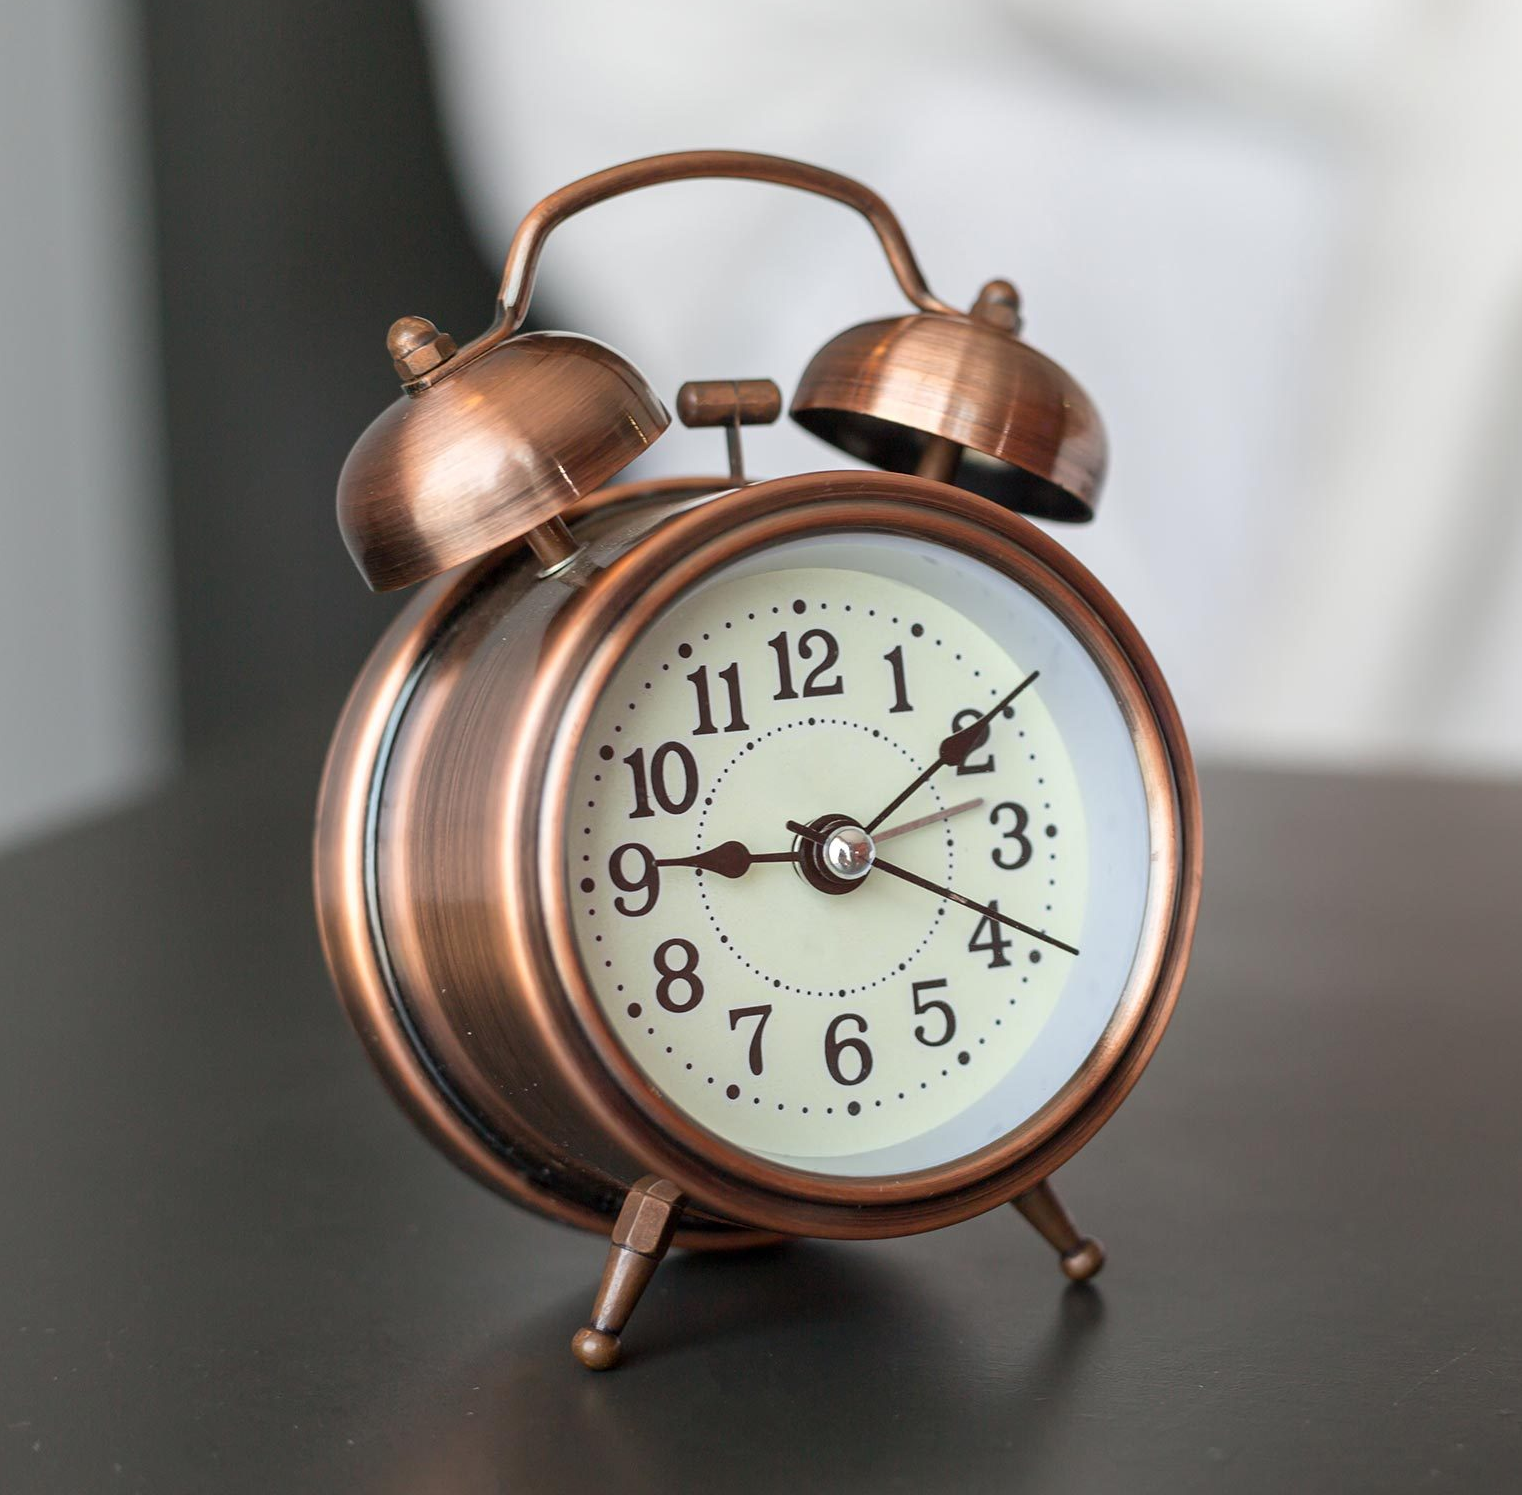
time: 9:09
